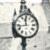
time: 11:42
